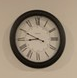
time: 8:49
